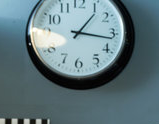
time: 1:16
